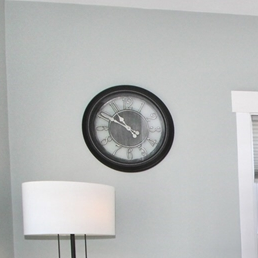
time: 10:50
